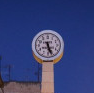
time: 5:26
